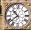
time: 10:38
